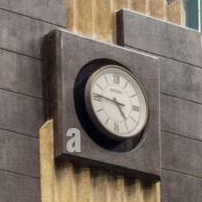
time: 4:46
